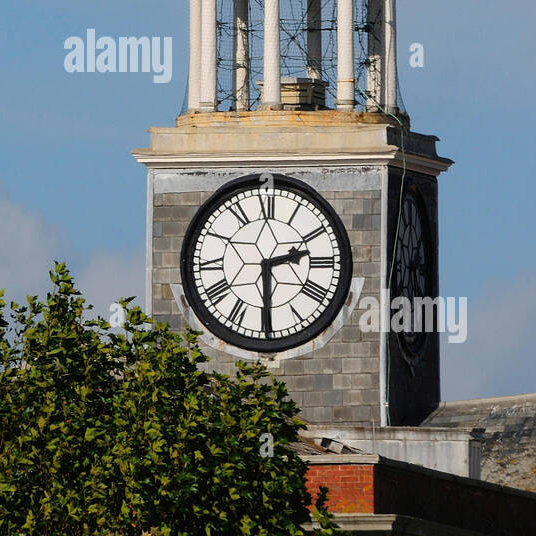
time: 2:29
